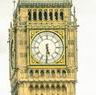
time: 5:30
